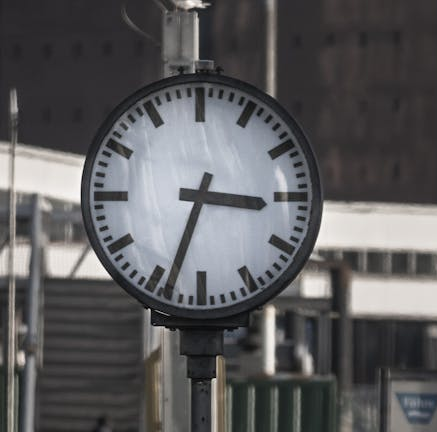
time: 3:33
